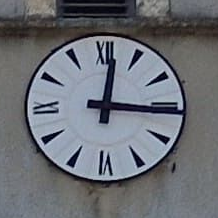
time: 12:15
